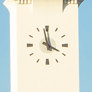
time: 3:58
